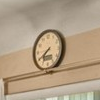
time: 7:40
